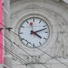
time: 4:11
